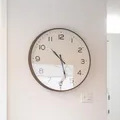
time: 10:27
